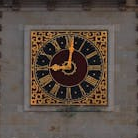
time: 9:01
